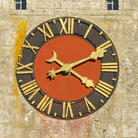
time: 4:10
